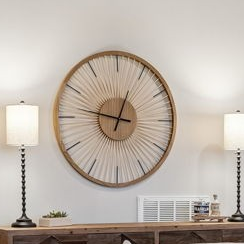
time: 12:46
